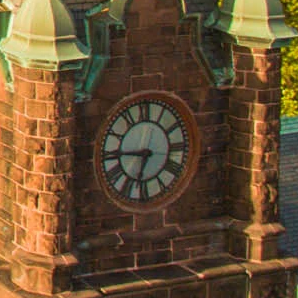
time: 6:45
